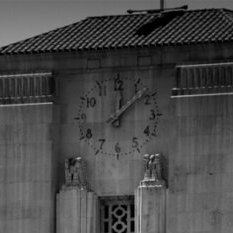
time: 12:07
